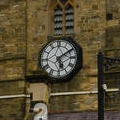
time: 5:09
